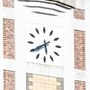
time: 5:40
